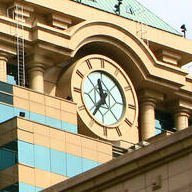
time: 11:35
